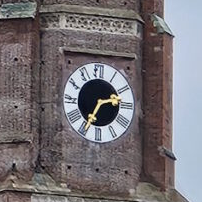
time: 2:34
